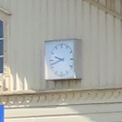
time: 9:42
